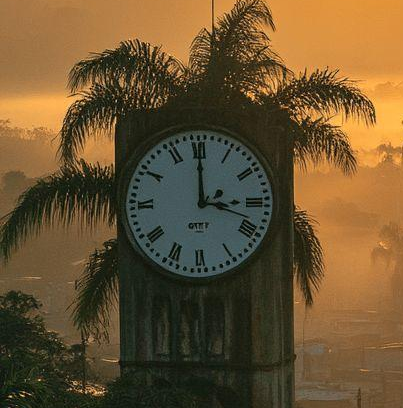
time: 2:59
